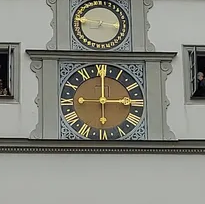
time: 3:00
